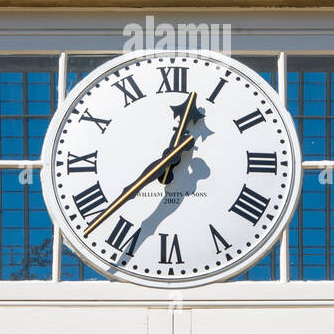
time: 12:37
